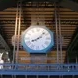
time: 8:07
